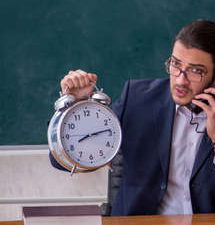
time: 8:13
